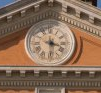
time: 3:29
